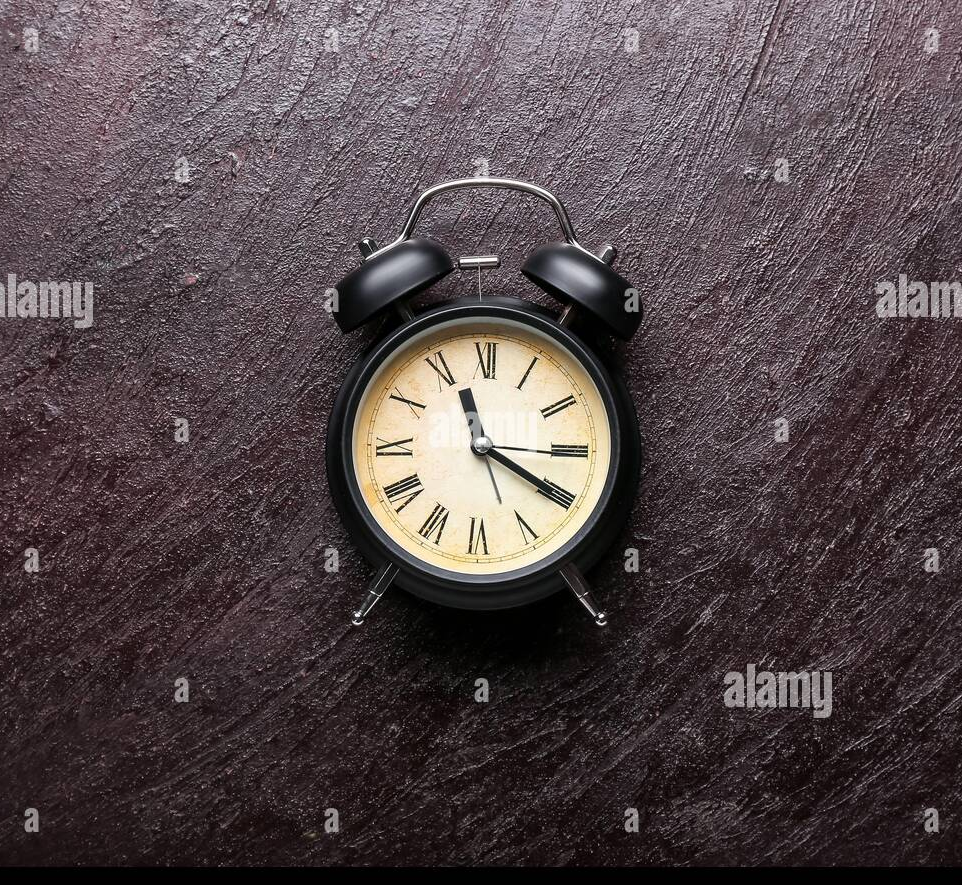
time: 11:19
